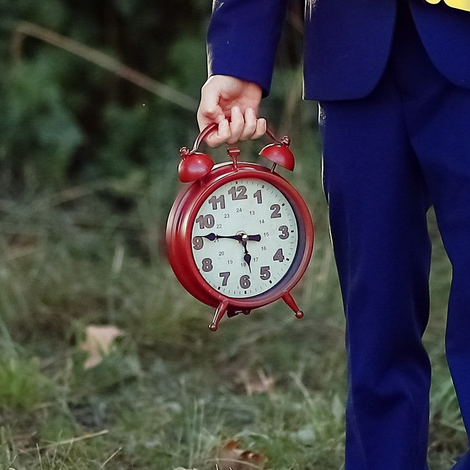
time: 5:46
